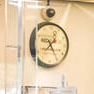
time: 7:24
